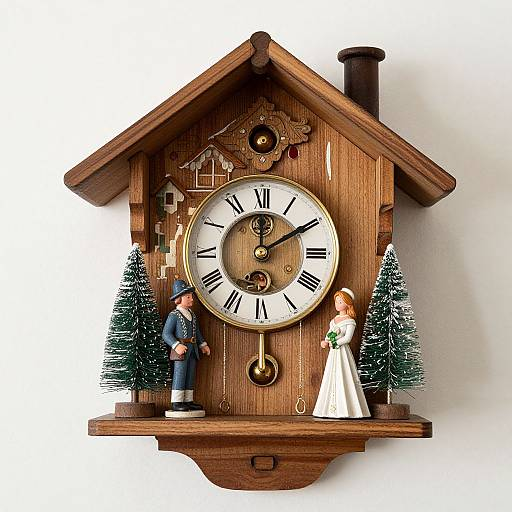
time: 12:09
